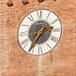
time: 2:36
